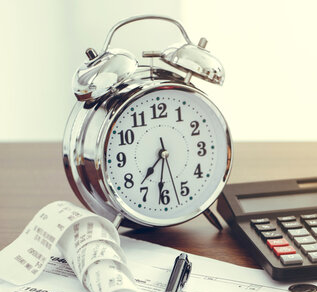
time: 7:31
